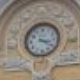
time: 3:21
